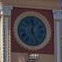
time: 12:26
